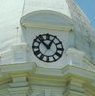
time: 12:52
